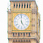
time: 4:59
